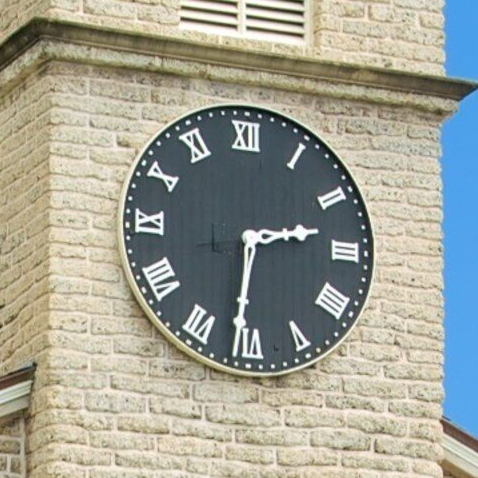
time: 2:31
